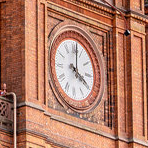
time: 4:01
